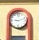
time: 9:12
